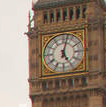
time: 5:02
